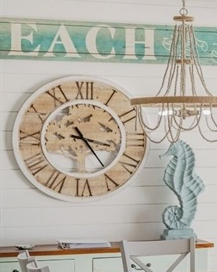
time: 3:23
